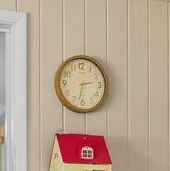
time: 2:32
